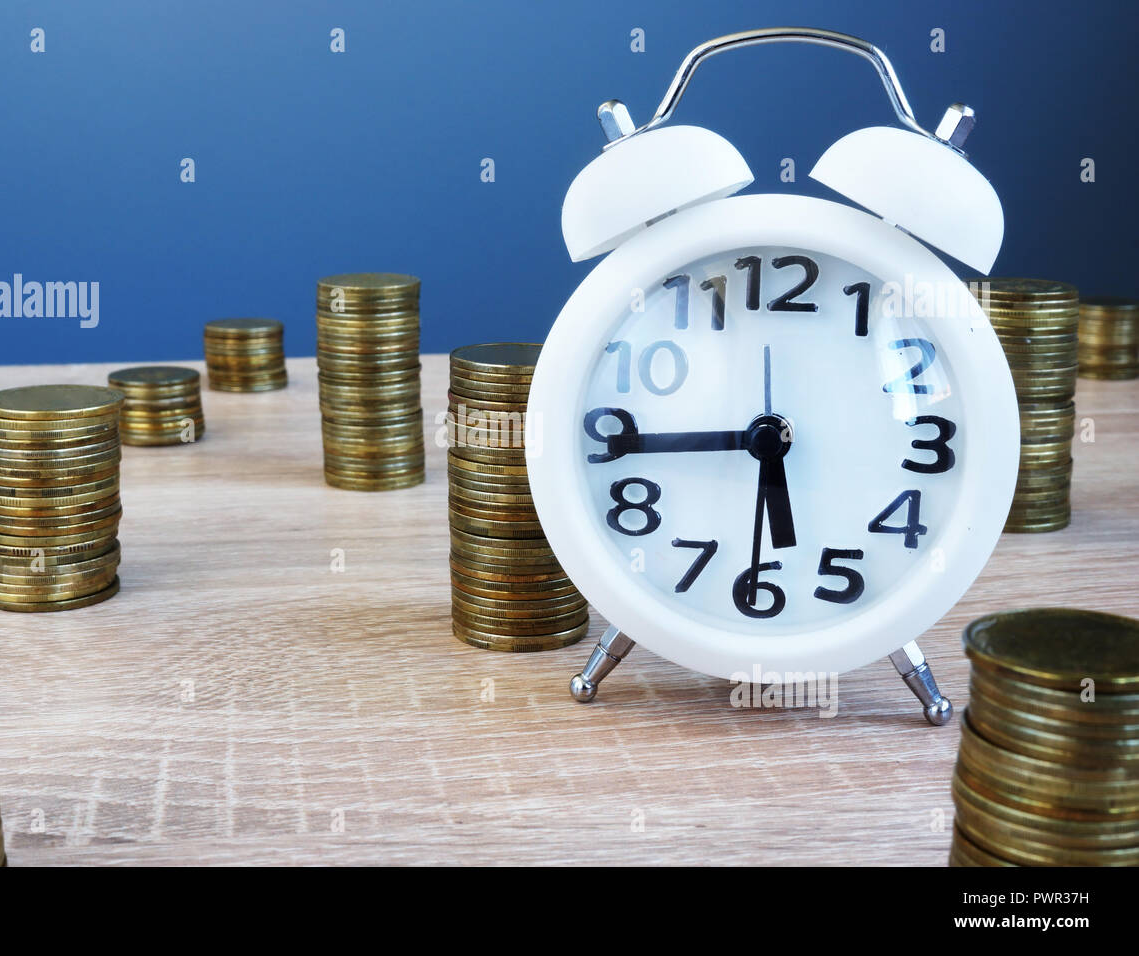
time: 5:44
